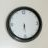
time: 6:29
